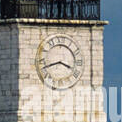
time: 3:42
